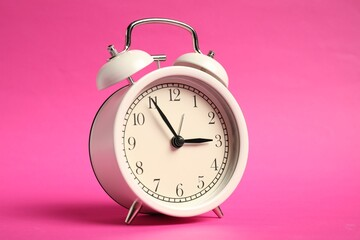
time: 2:55
